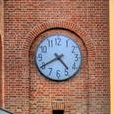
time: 4:40
